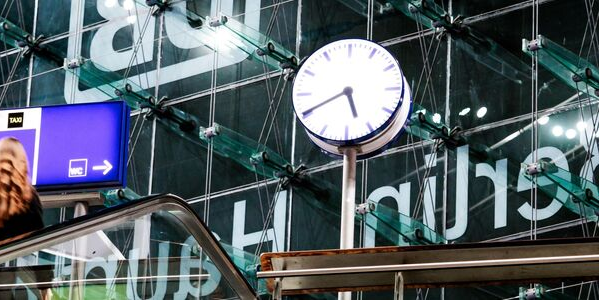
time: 5:40
